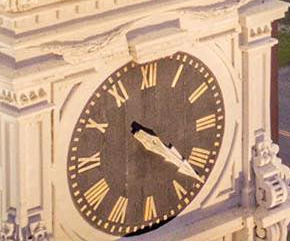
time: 4:22
